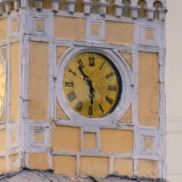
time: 5:53
